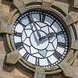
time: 1:55
